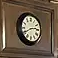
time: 2:40
